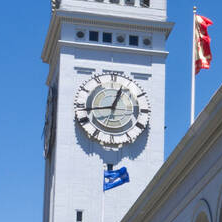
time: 12:43
